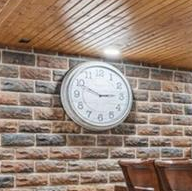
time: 2:49
